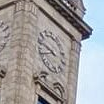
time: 9:42
